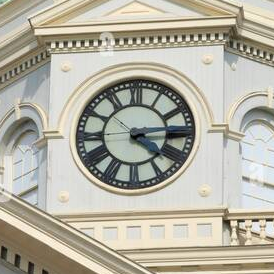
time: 4:14
